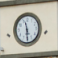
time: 11:29
